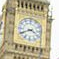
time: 3:40
